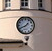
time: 1:40
